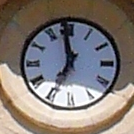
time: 6:58
